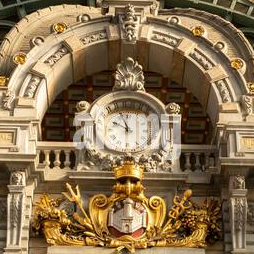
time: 9:57
